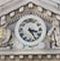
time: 3:24
